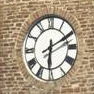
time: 6:10
